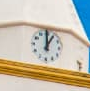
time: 12:59
